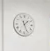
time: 1:26
